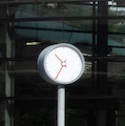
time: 10:34
